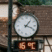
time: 1:18
